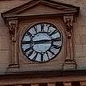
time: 2:44
